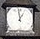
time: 12:58
